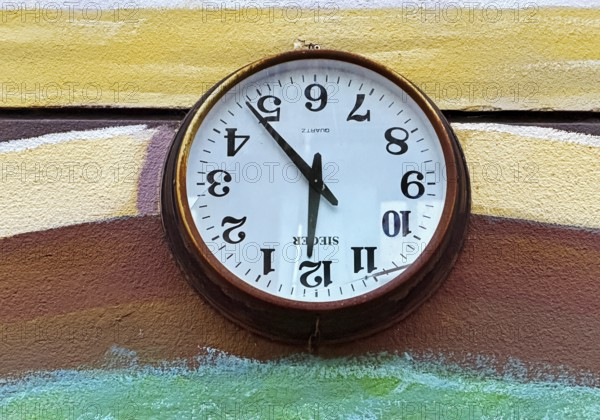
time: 5:53
